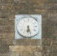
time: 6:27
